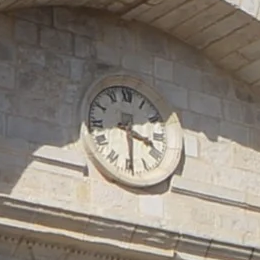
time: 3:29
